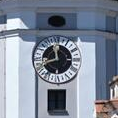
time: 11:41
